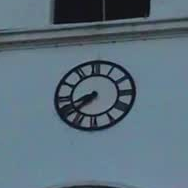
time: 7:41
